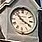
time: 3:52
